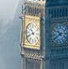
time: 10:41
